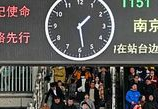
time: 1:28
